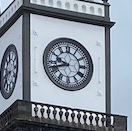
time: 9:42
